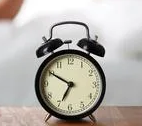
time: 6:50
